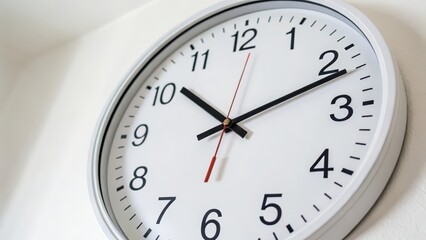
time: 10:11
